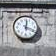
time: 12:18
